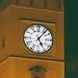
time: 5:06
